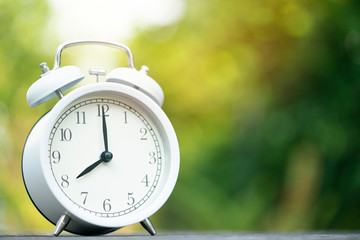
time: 8:00
